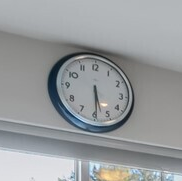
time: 5:29
